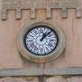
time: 1:07
